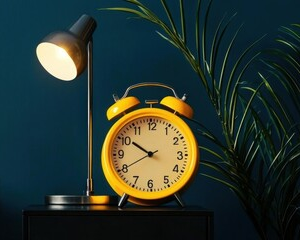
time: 9:50
